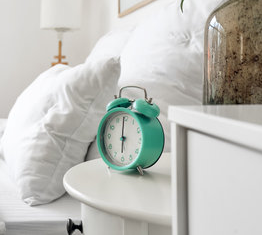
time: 5:59
